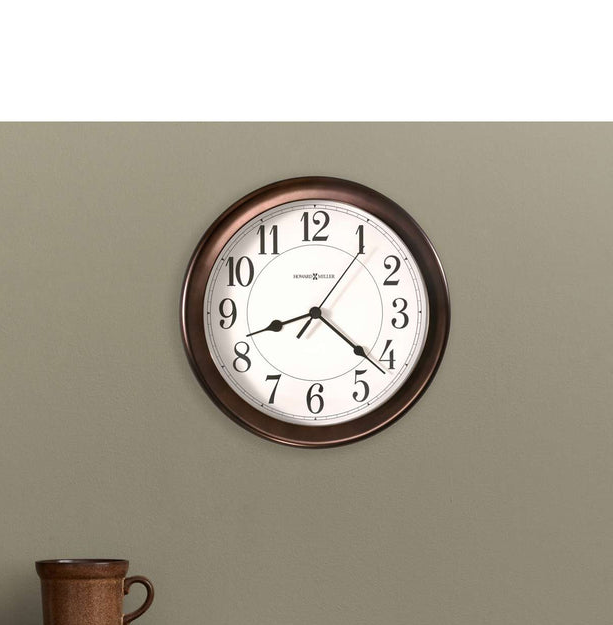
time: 8:21
